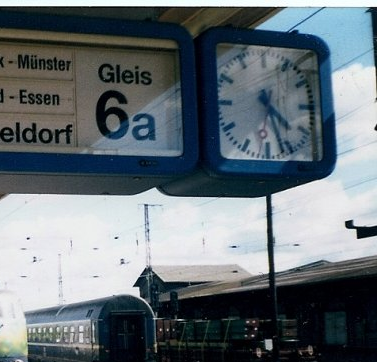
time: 4:26
